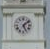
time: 5:08
